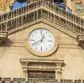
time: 12:40
